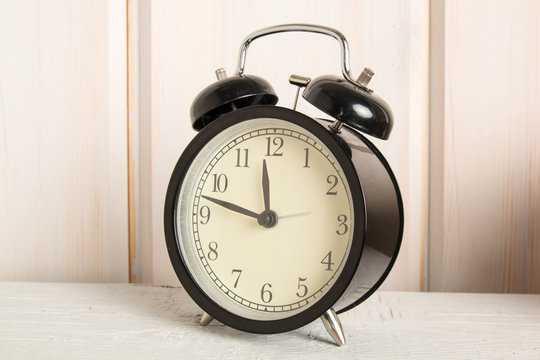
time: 11:47
